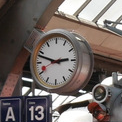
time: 2:48
